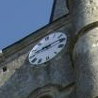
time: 8:12
